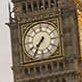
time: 7:35
